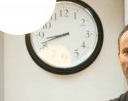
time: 8:41
